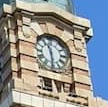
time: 11:29
